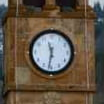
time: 11:31
